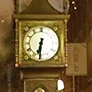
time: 6:31
